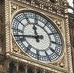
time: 11:42
